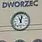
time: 11:02
